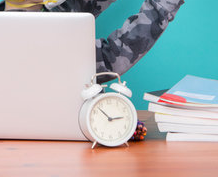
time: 2:53
